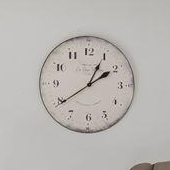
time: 1:09
